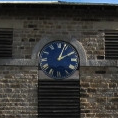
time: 2:03
